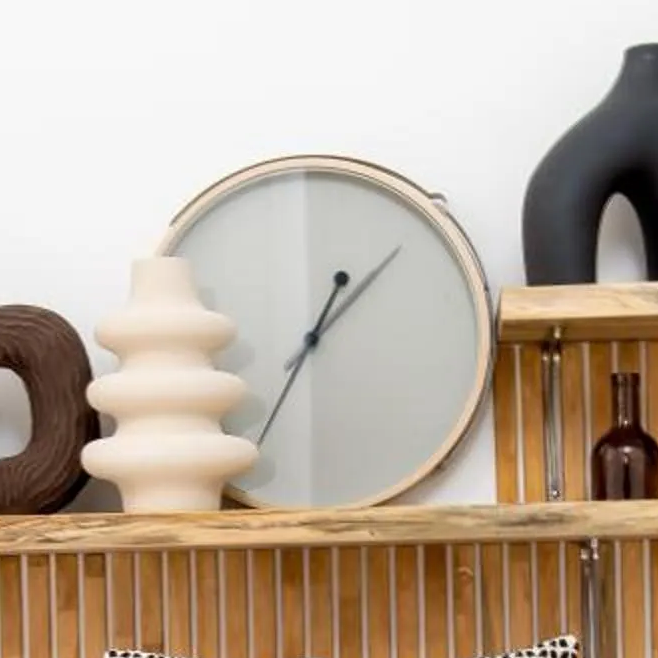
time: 1:07
